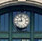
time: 8:58
